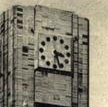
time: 3:27
